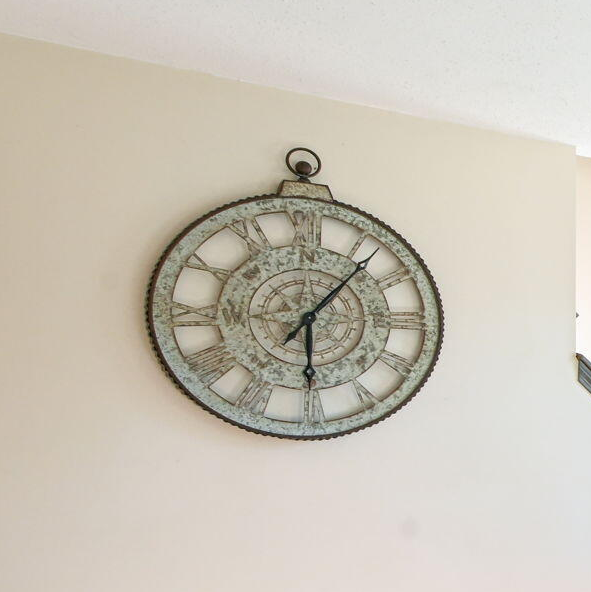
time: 6:06
